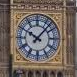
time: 10:07
